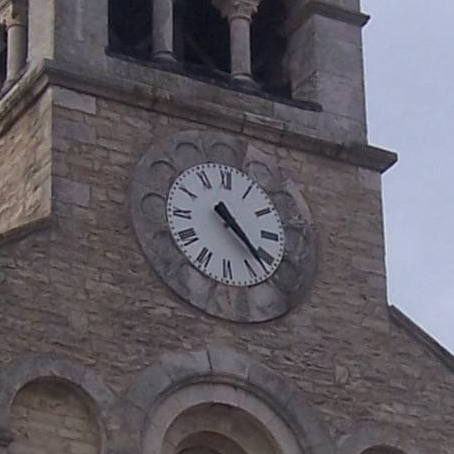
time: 4:22
